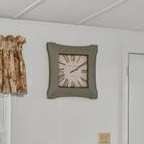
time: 2:09
